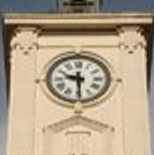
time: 9:29
